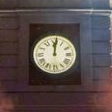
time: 12:01
